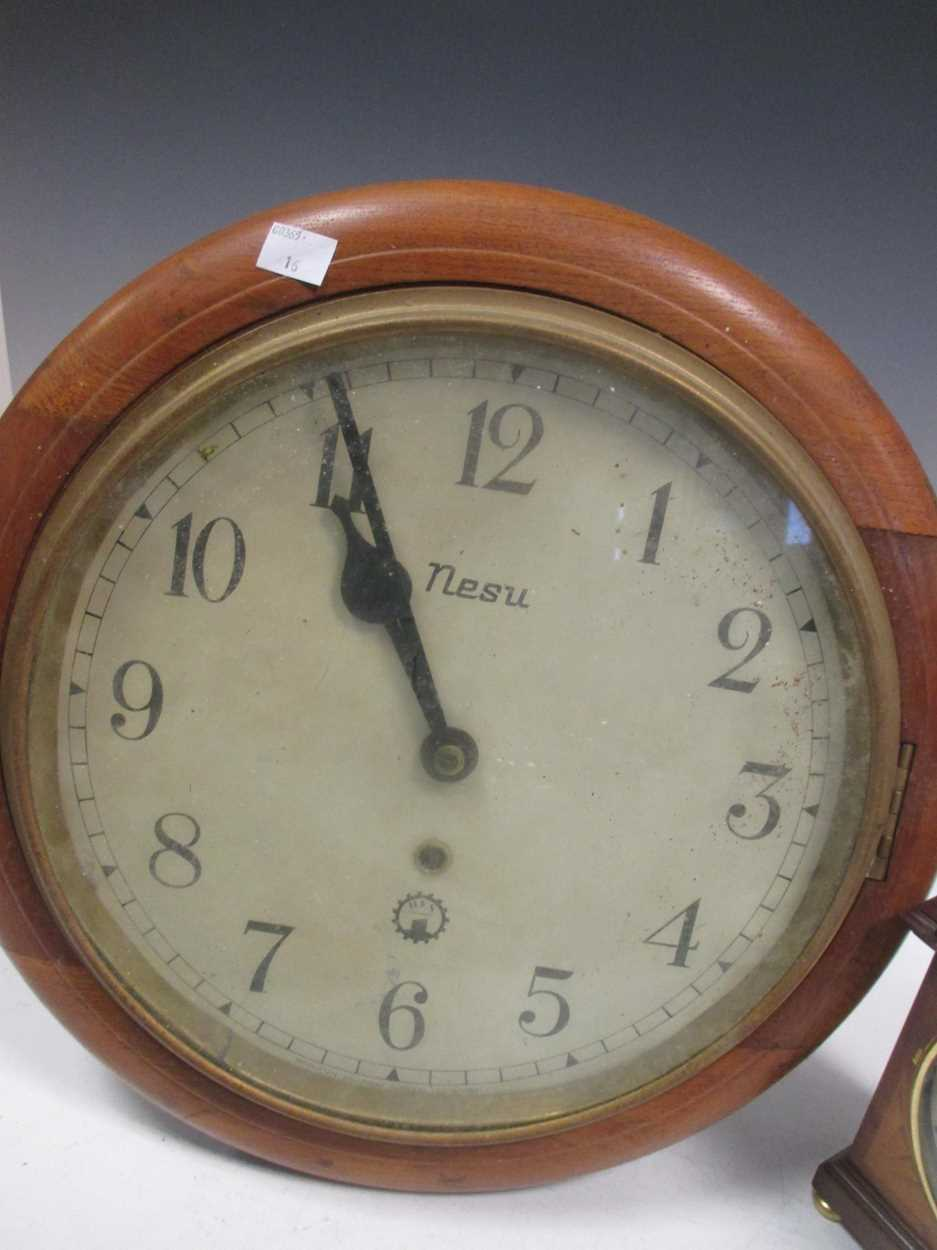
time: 10:55
